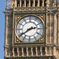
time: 2:39
